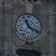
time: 11:19
